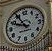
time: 9:54
